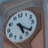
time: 5:21
